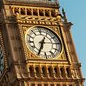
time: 6:34
